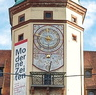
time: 8:47
